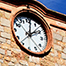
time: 2:01
